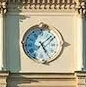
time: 5:08
